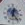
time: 12:23
